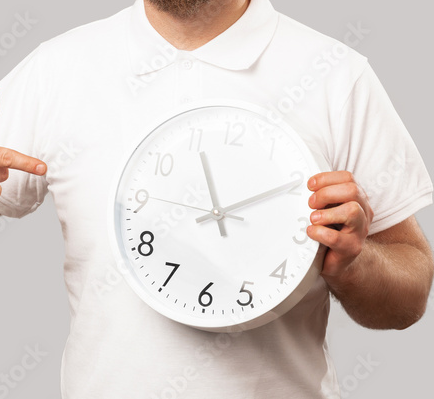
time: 11:10
